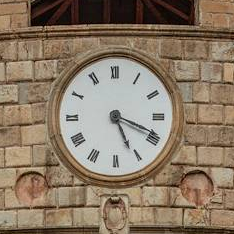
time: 5:18
